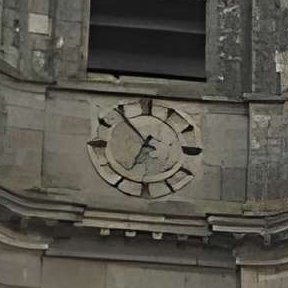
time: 6:53
